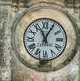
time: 11:04
